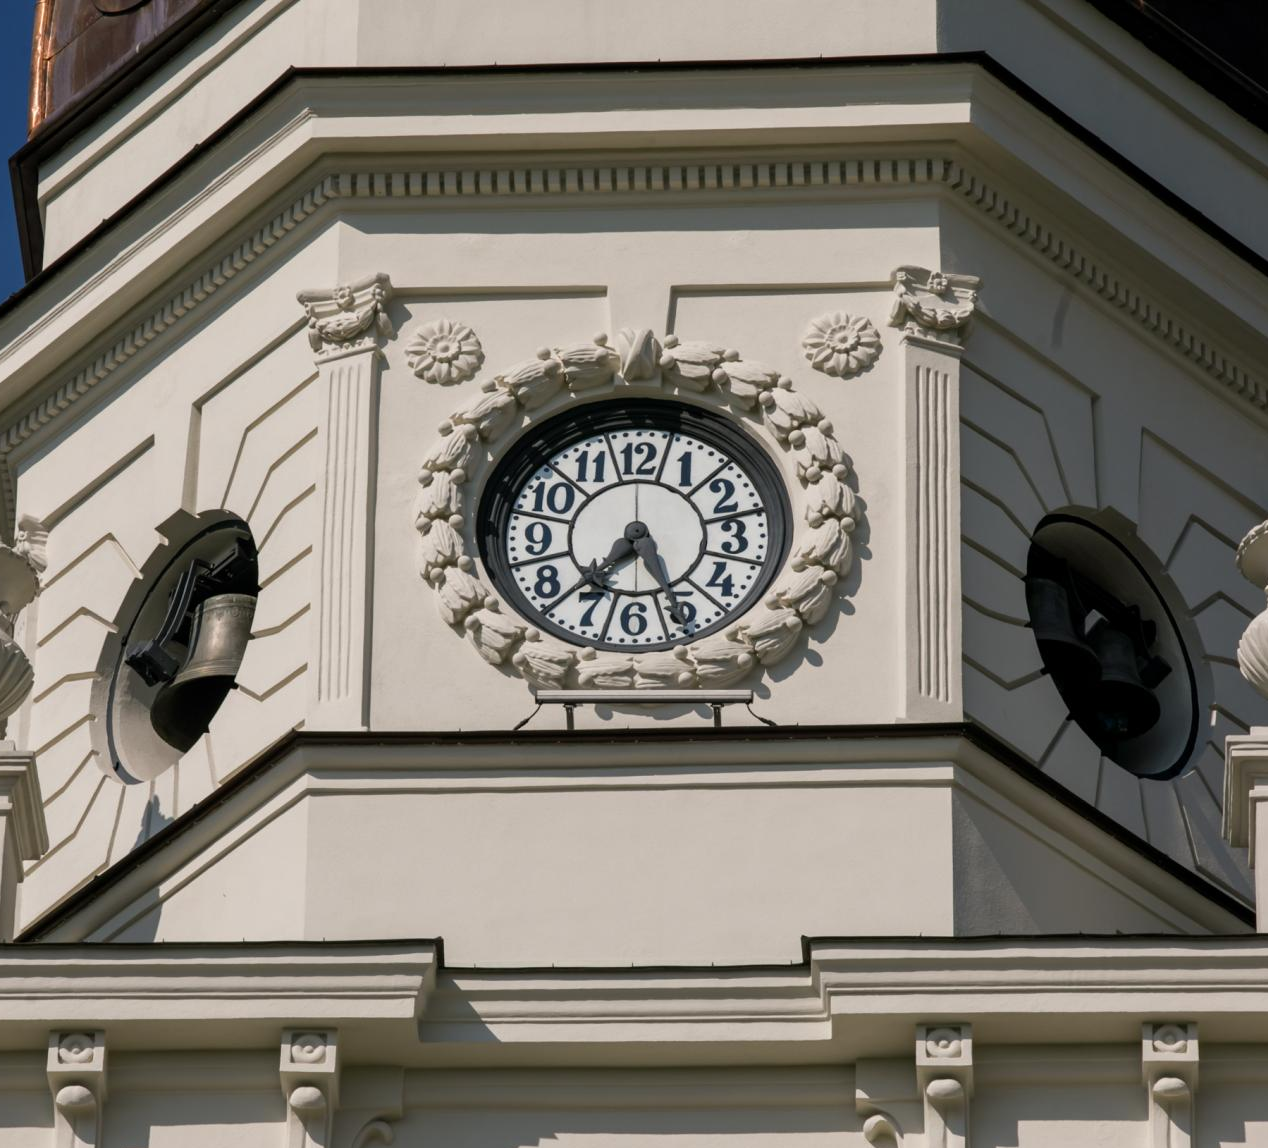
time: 7:25
